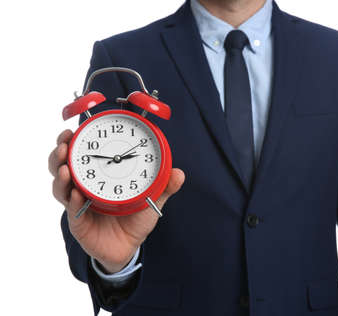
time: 2:46
